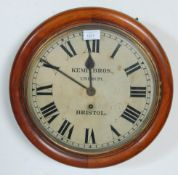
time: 11:49
